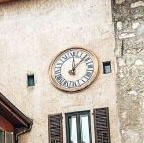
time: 12:07
